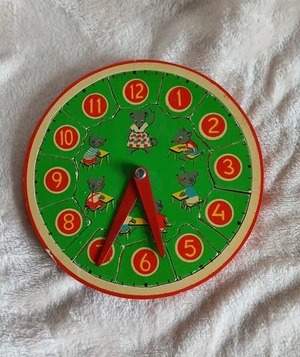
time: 5:34
